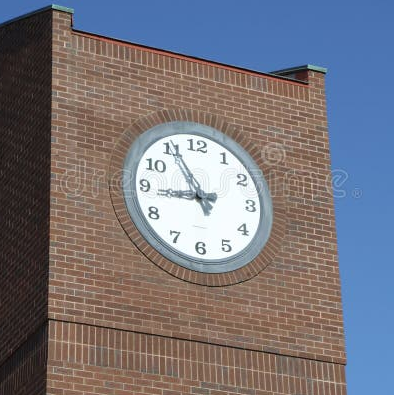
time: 8:55
